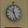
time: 11:26
